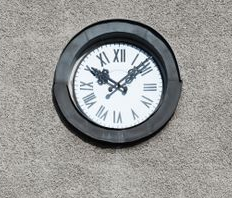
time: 10:07
